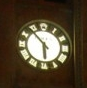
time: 5:53
